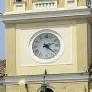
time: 2:21
